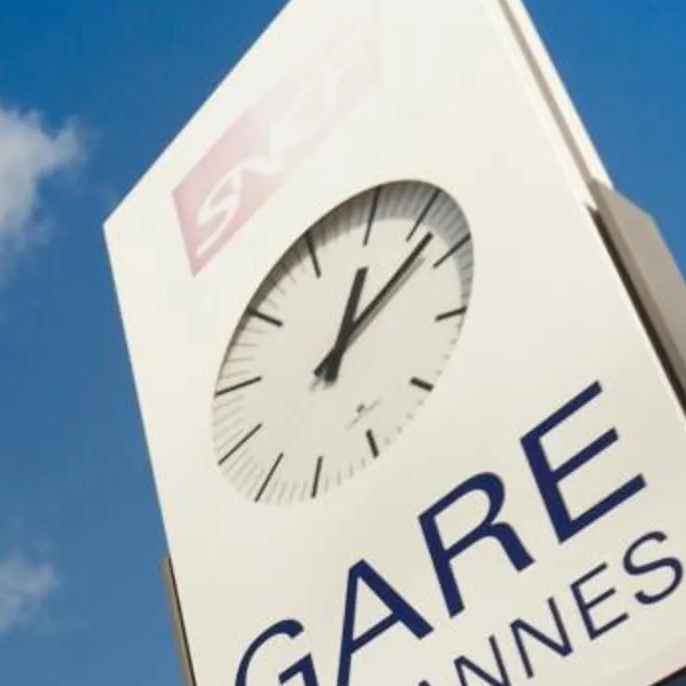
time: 12:07
